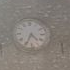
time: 4:34
